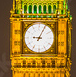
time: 9:04
